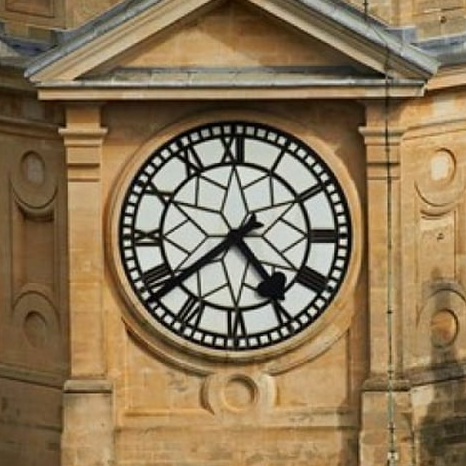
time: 4:38
